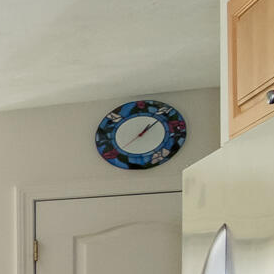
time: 1:07
